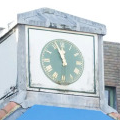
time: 11:56
